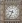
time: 9:34
